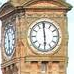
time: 5:59
